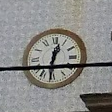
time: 12:30
